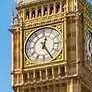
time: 12:24
